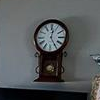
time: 12:24
